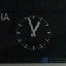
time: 12:57
